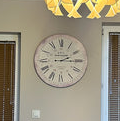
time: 2:15
